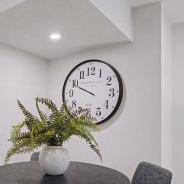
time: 9:49
